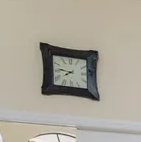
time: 7:46
